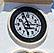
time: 2:56
